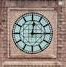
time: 12:14
